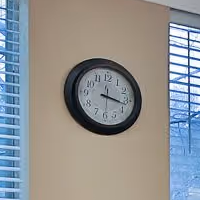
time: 3:16
